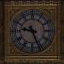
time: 9:26
